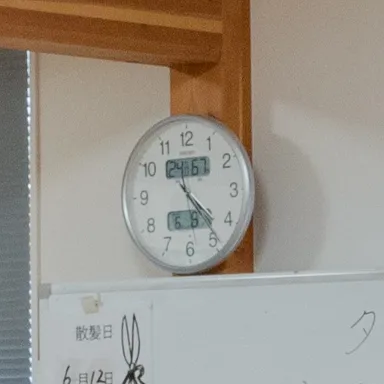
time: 4:23
